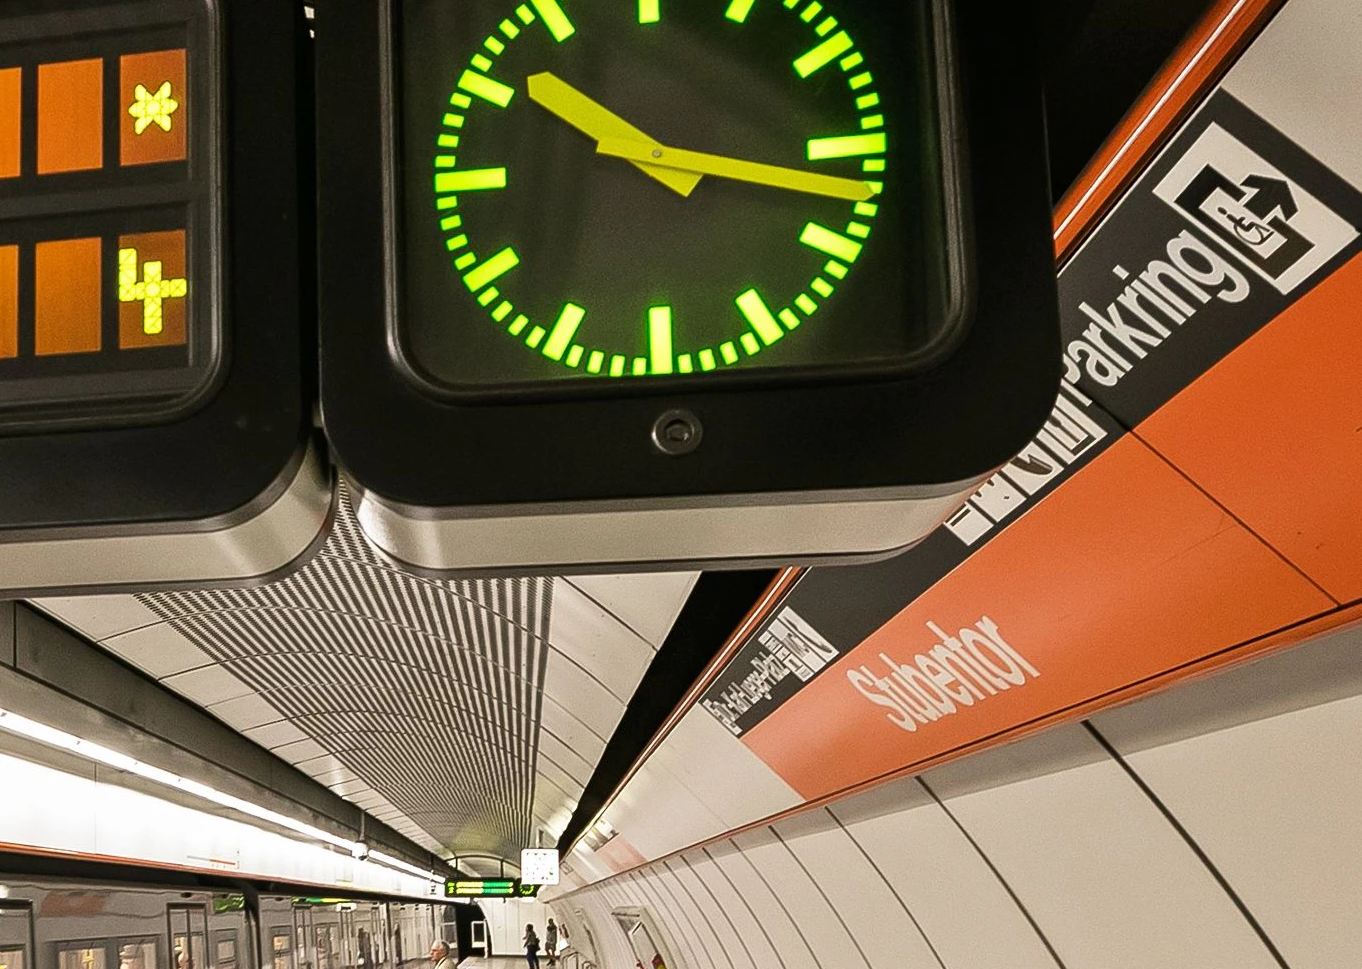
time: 10:17
